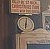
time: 6:01
